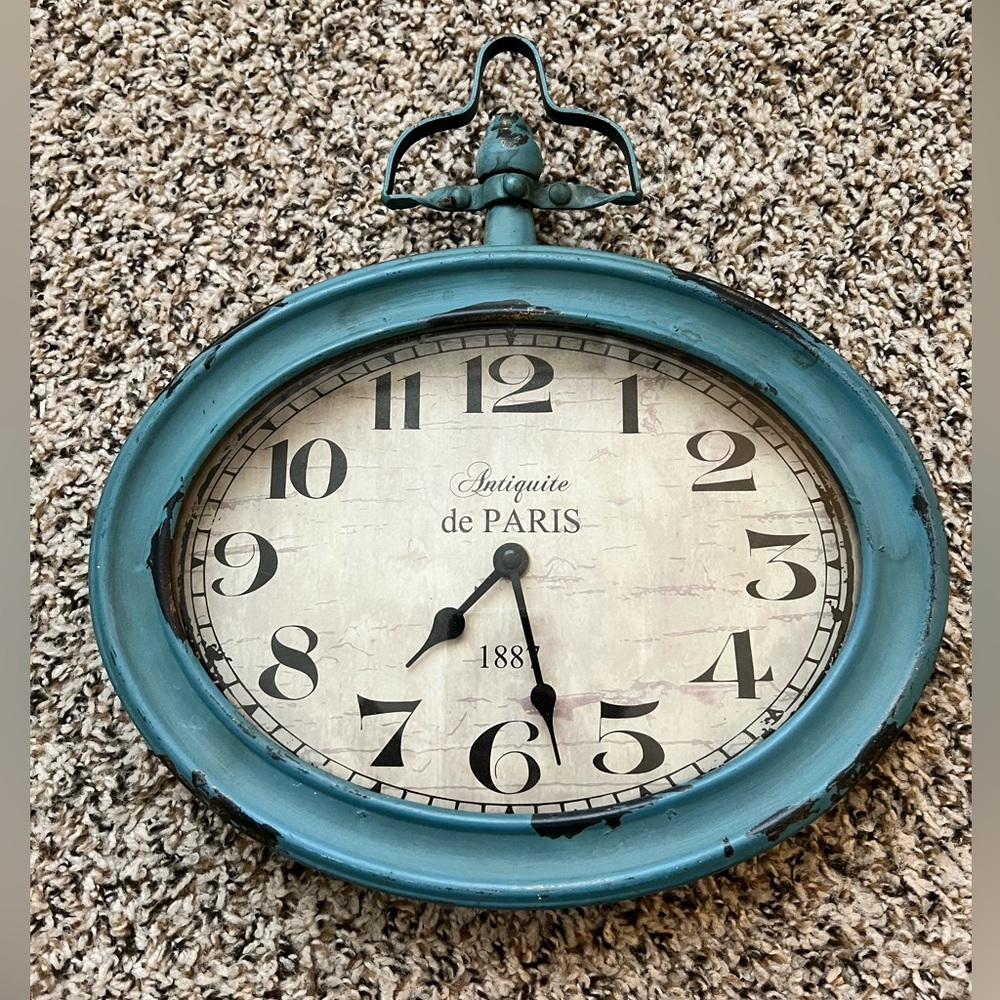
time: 7:28
